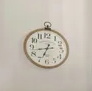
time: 6:42
